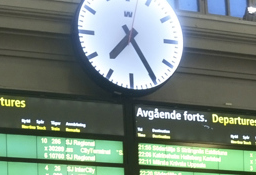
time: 7:24
